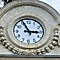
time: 2:55
